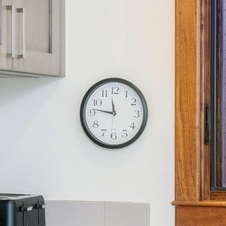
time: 11:46
